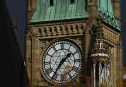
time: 1:36
